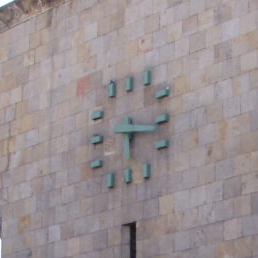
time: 6:16
